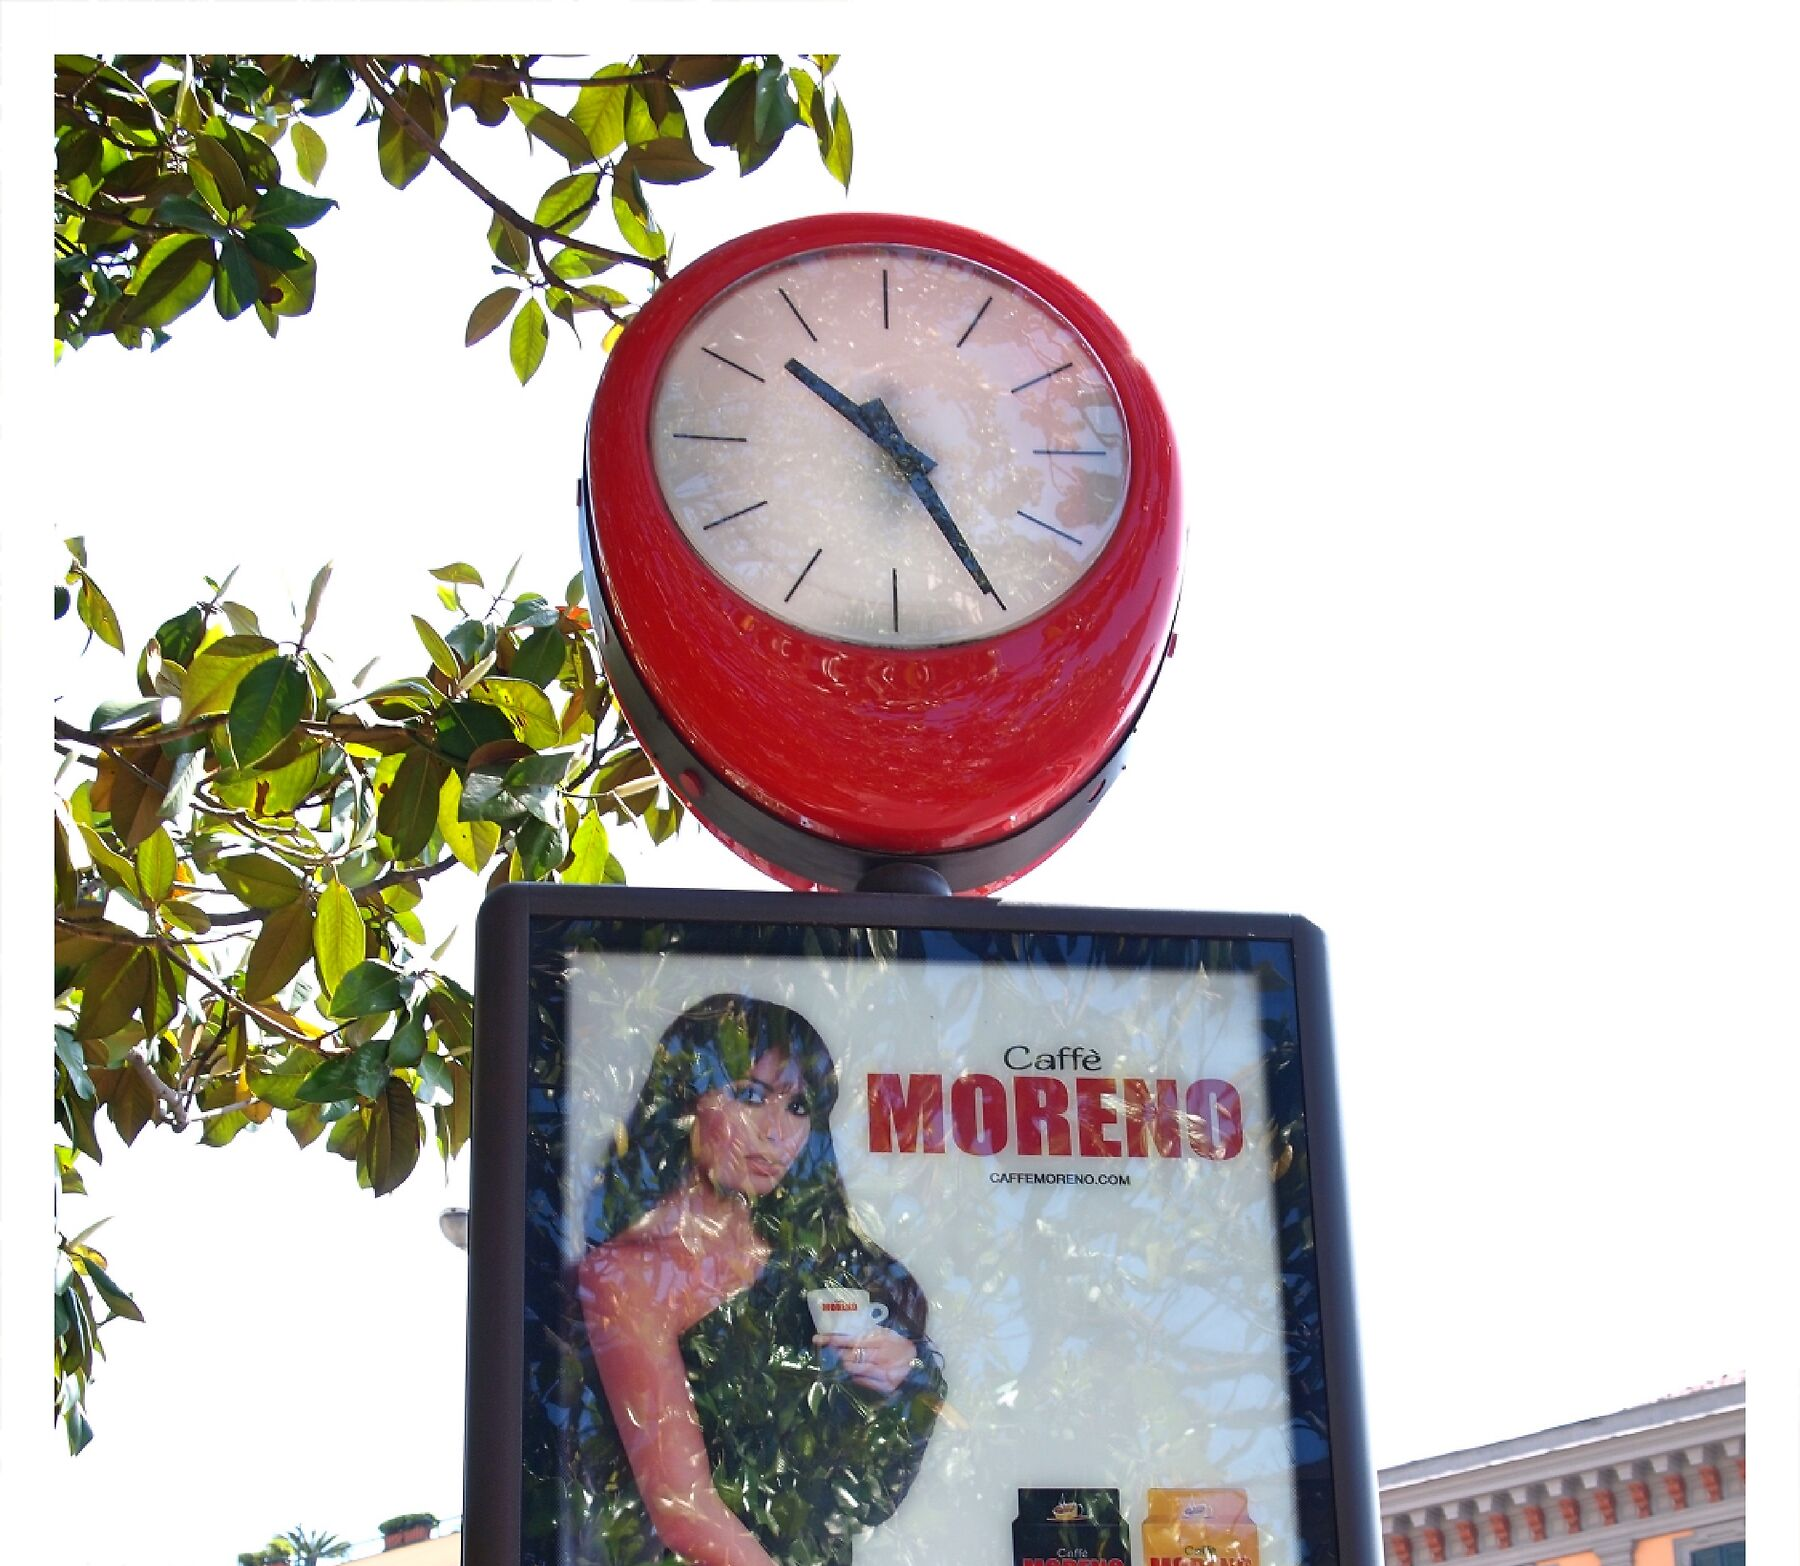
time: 10:24
